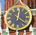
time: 12:21
